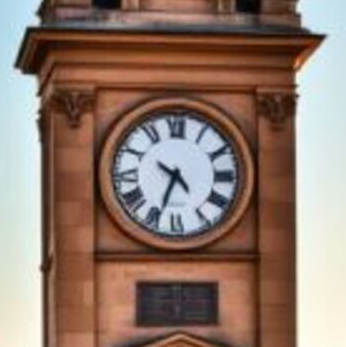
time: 4:33
